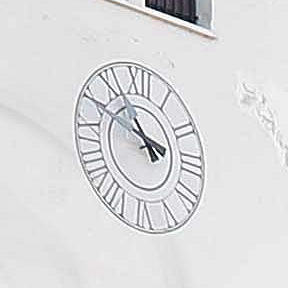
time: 2:48
